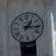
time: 1:16
